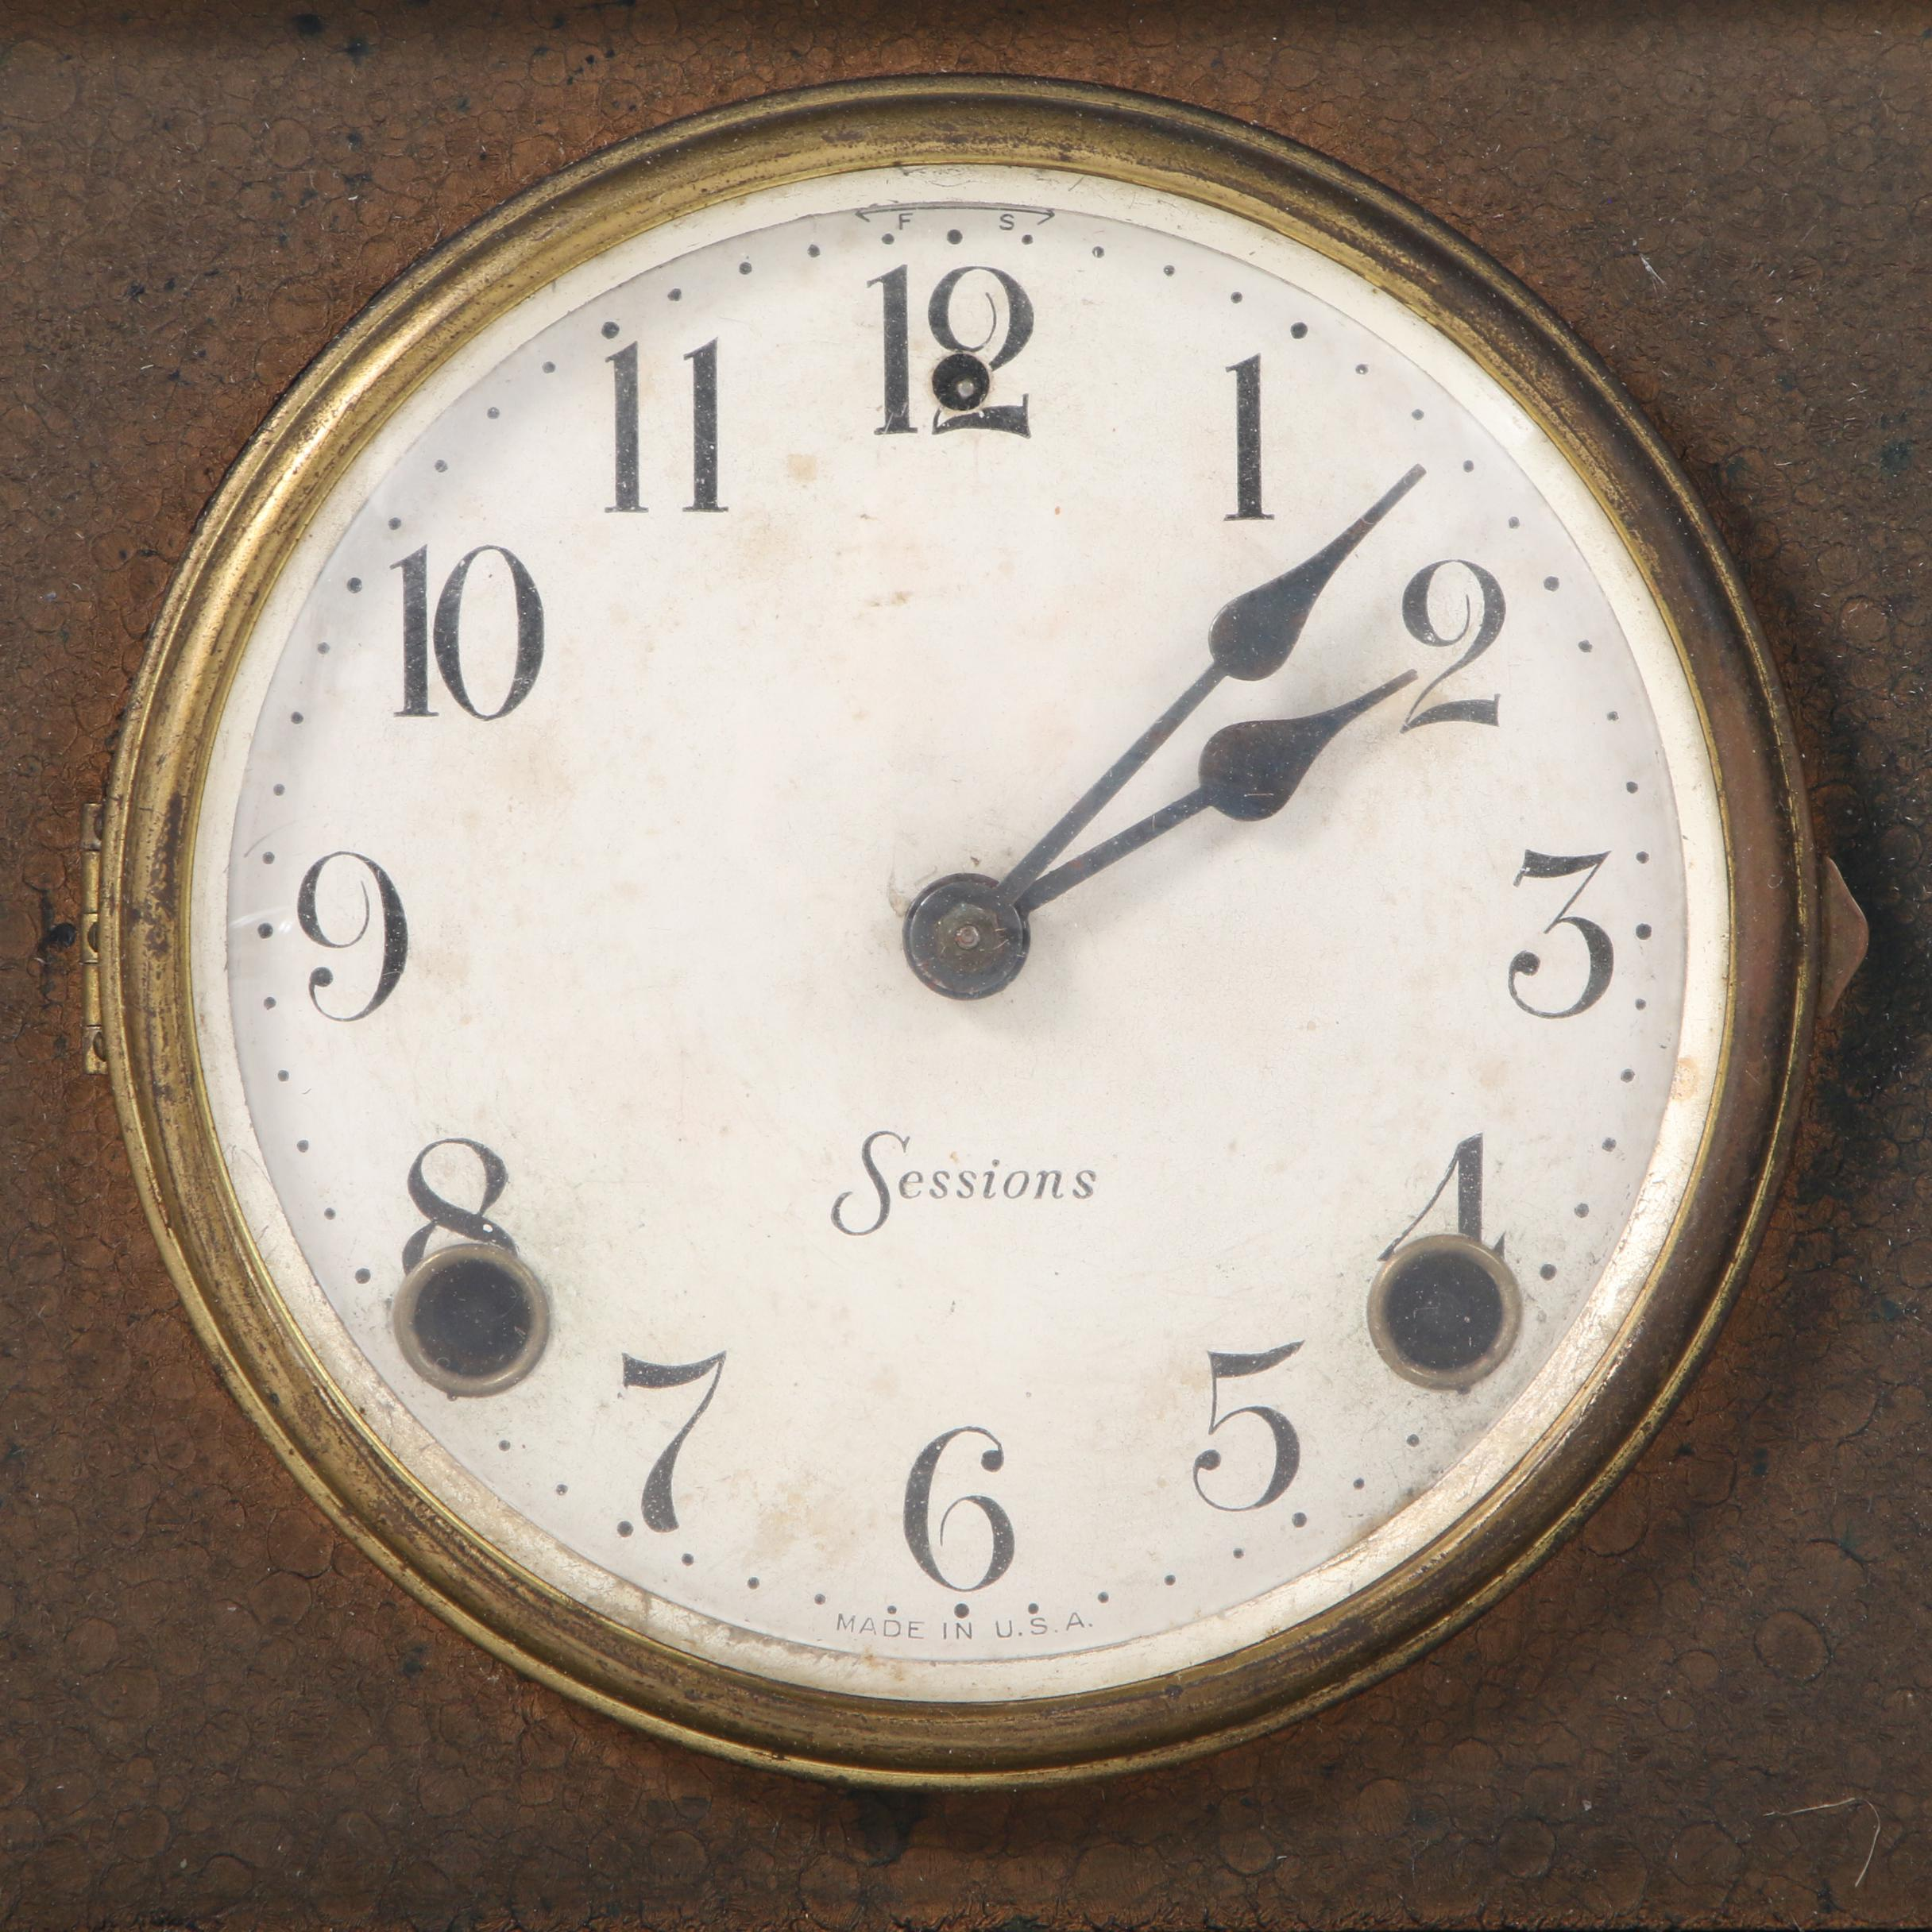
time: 2:07
